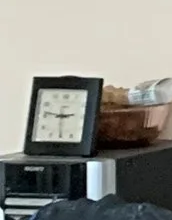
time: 2:46
